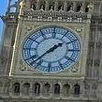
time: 1:37
